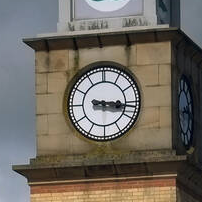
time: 3:16
